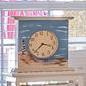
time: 3:37
